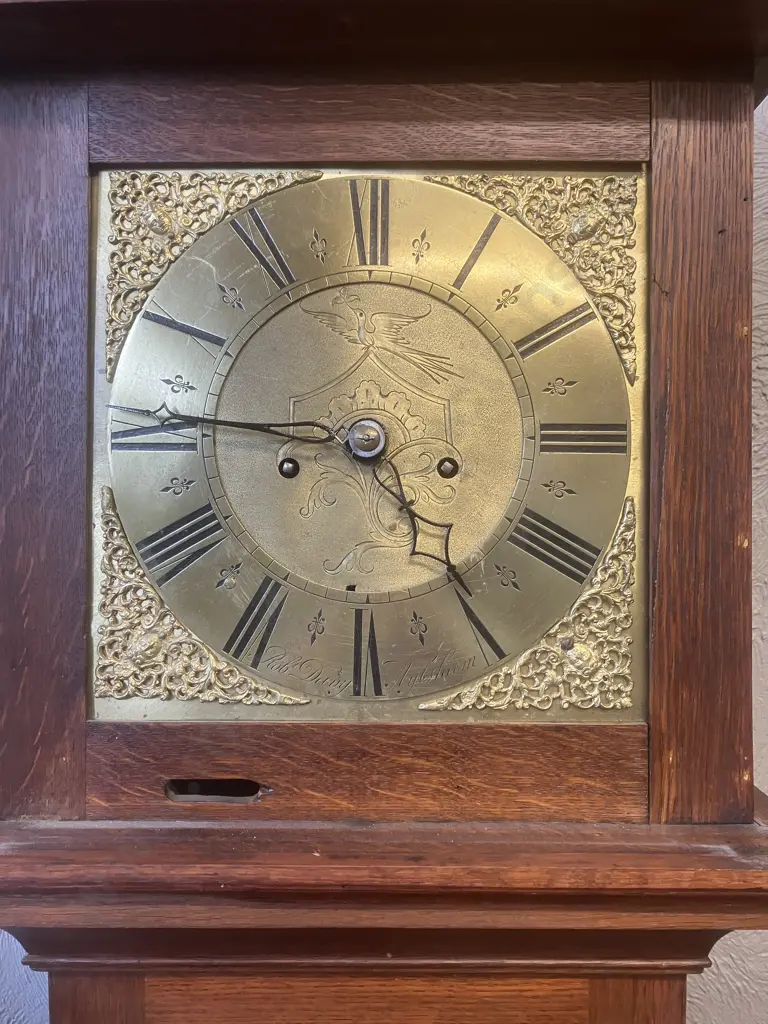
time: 4:45
